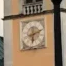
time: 6:11
